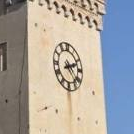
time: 2:23
